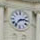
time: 2:36
